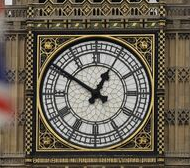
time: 12:50
